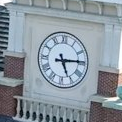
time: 5:14
